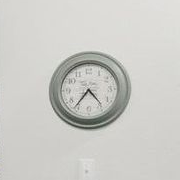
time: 4:36
